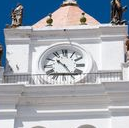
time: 10:24
